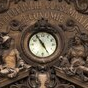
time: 4:54
